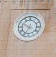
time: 6:49
